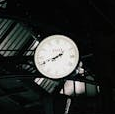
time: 7:40
